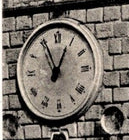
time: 12:55
